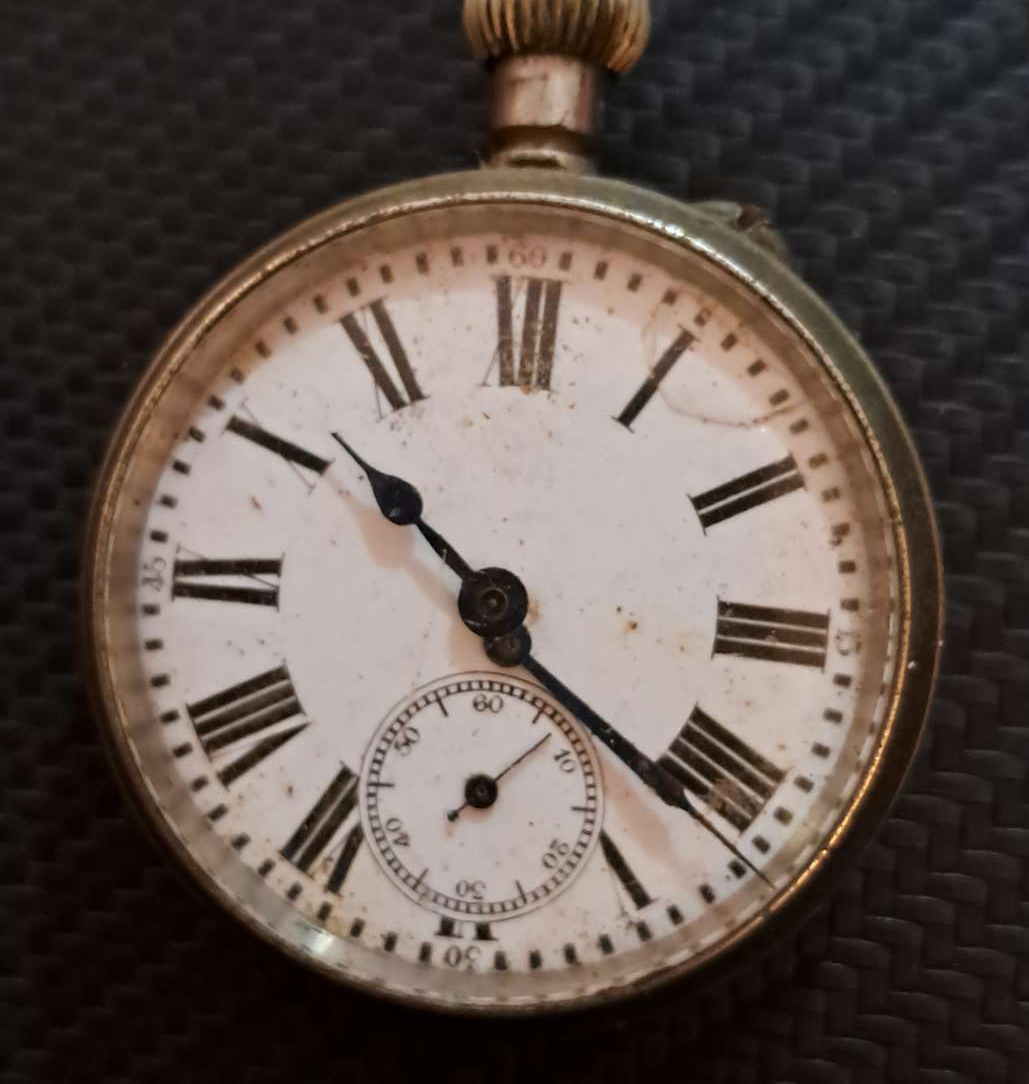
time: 10:21
